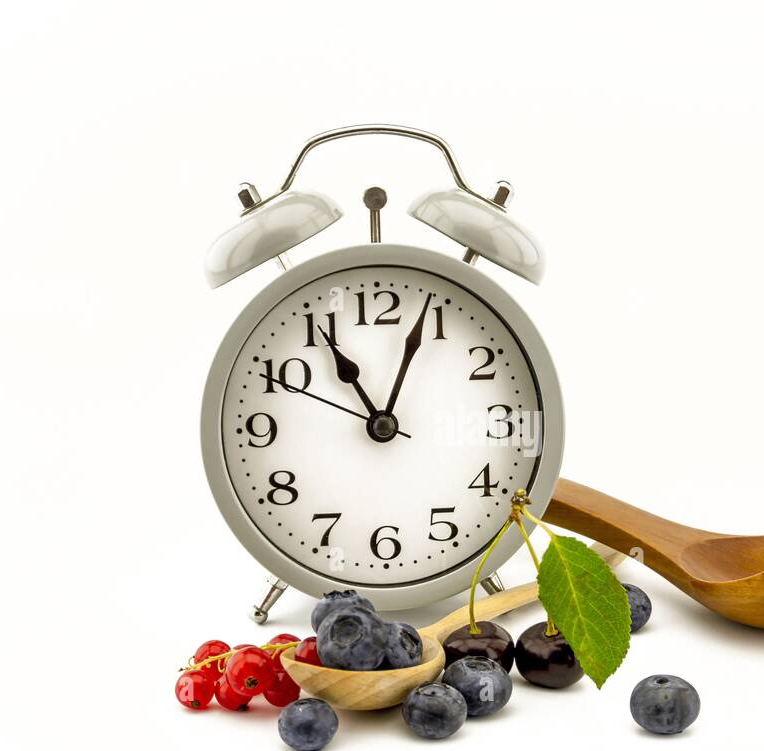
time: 11:03
